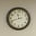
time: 11:41
